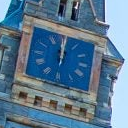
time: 11:59
